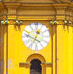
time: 12:49
